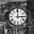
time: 3:00
